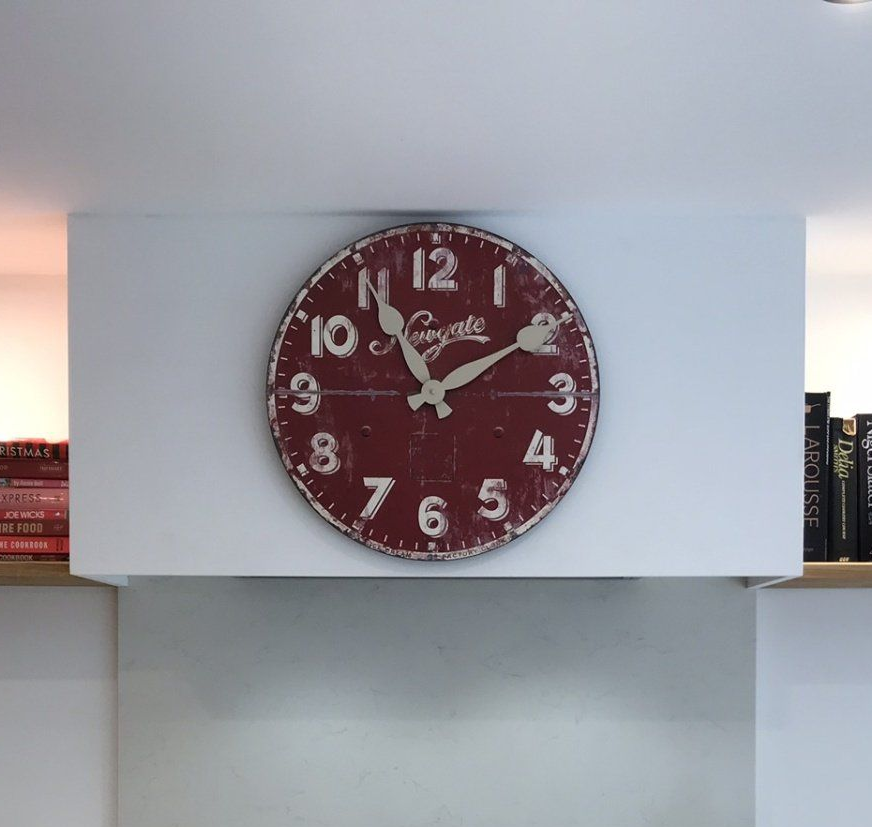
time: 11:09
